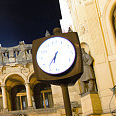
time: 6:36
